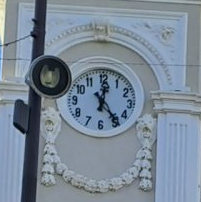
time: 12:23
